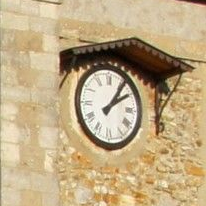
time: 2:06
